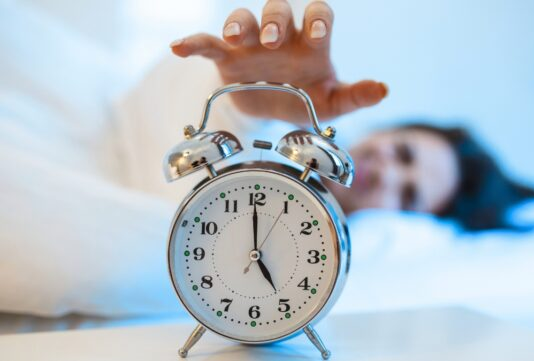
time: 4:59
